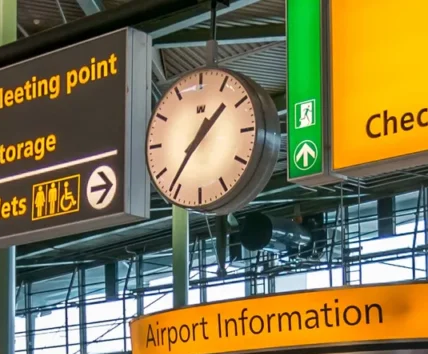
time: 1:36
